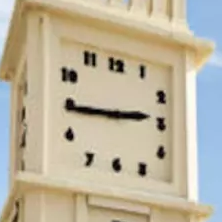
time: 2:44
